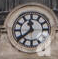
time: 11:37
